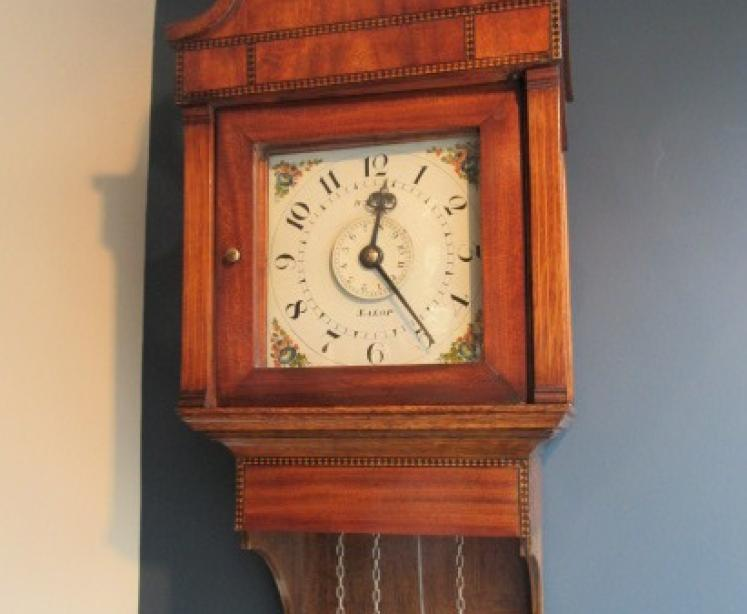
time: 12:23
